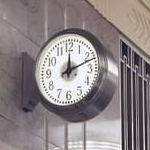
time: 12:11
